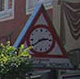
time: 2:39
